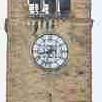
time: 8:32
